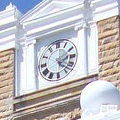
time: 2:22
